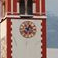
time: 12:34
